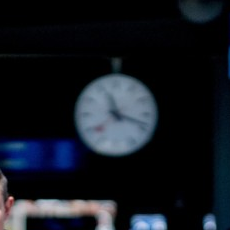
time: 11:18
